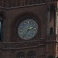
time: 2:36
